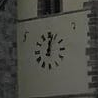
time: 12:02
